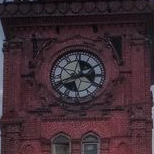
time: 2:40
